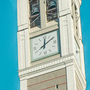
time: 12:09
